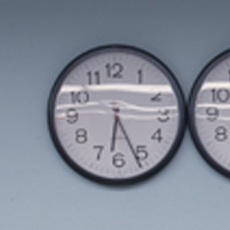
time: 6:26
